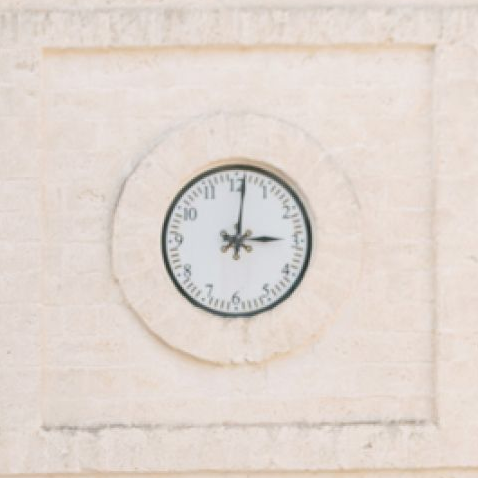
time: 3:01
